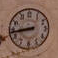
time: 8:43
